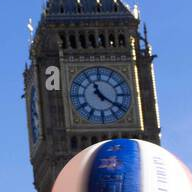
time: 11:21
